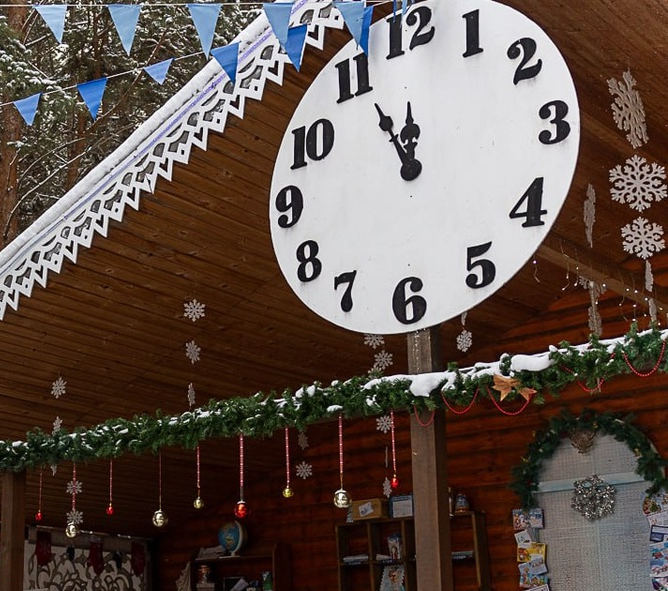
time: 11:55
